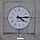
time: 4:14
